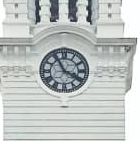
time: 3:54
